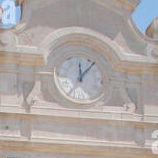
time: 12:07
